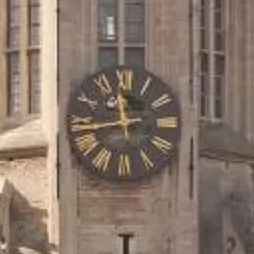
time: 11:43
